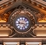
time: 9:17
